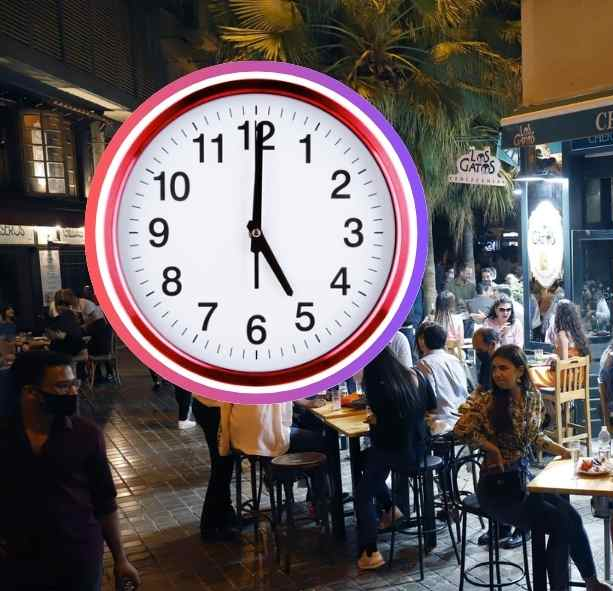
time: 5:00
